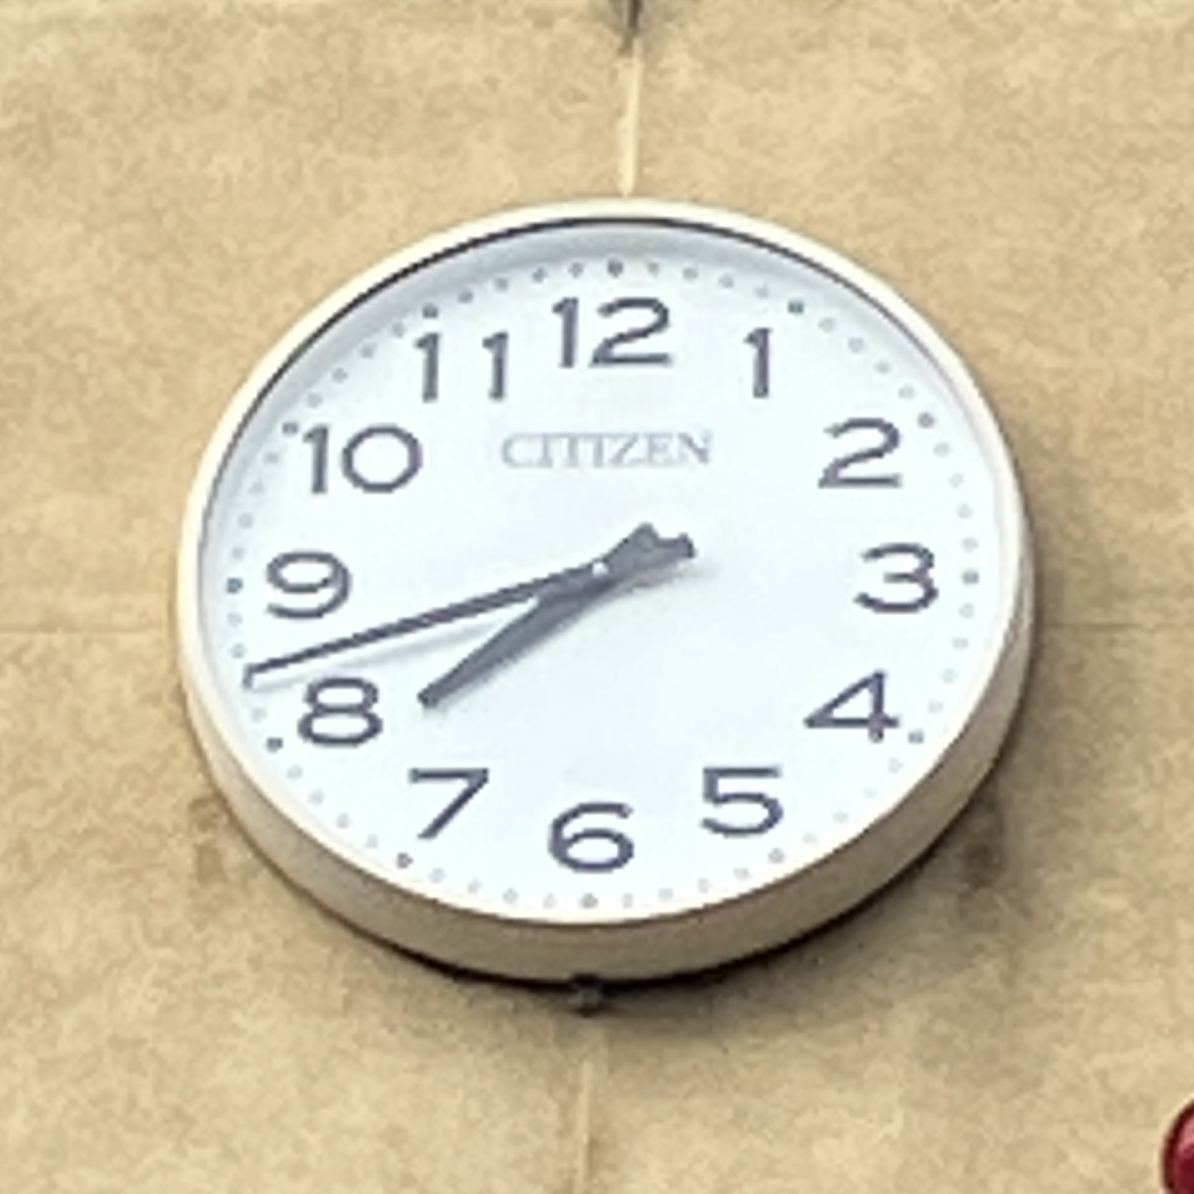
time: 7:42
